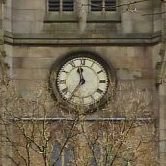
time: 11:35
